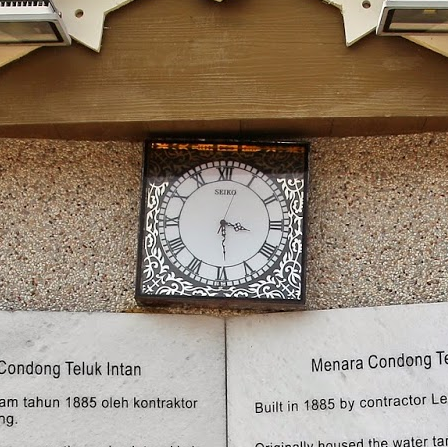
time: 3:29
